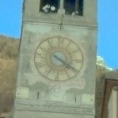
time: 4:20
